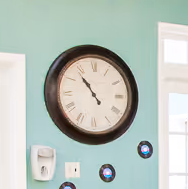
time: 10:53
